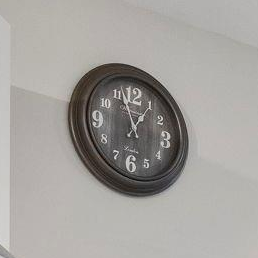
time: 12:56
